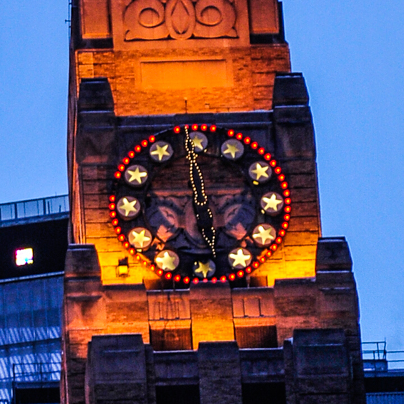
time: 11:59
